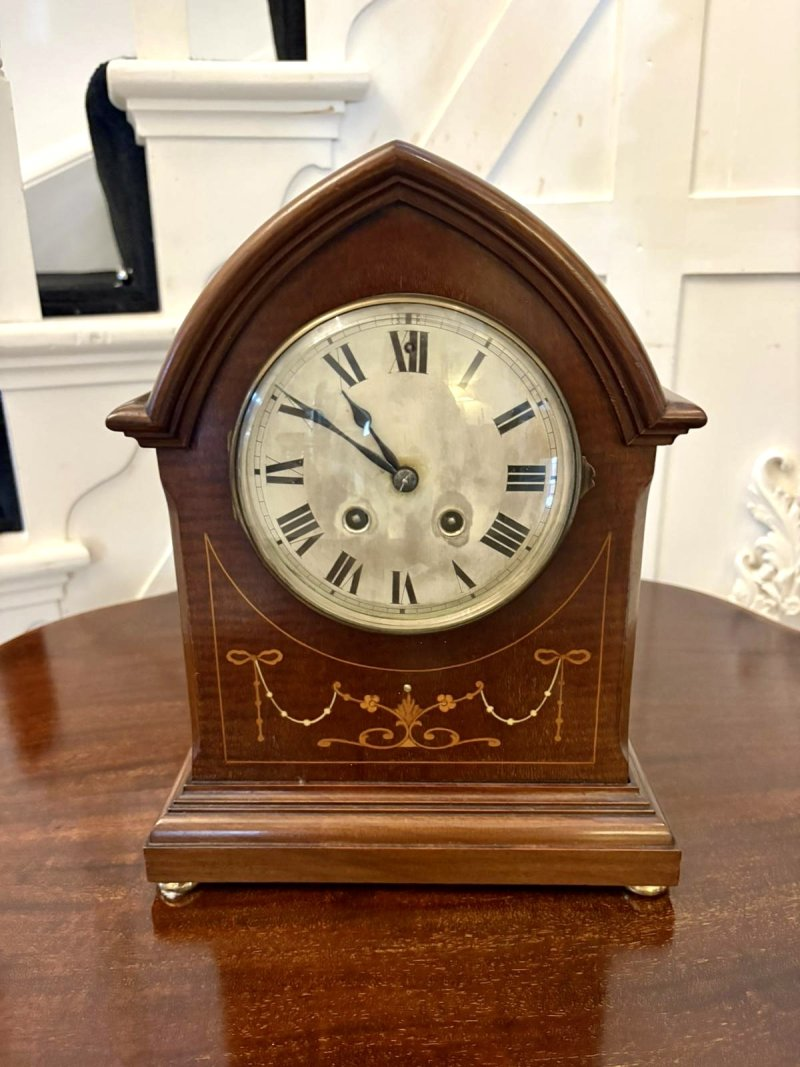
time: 10:50
